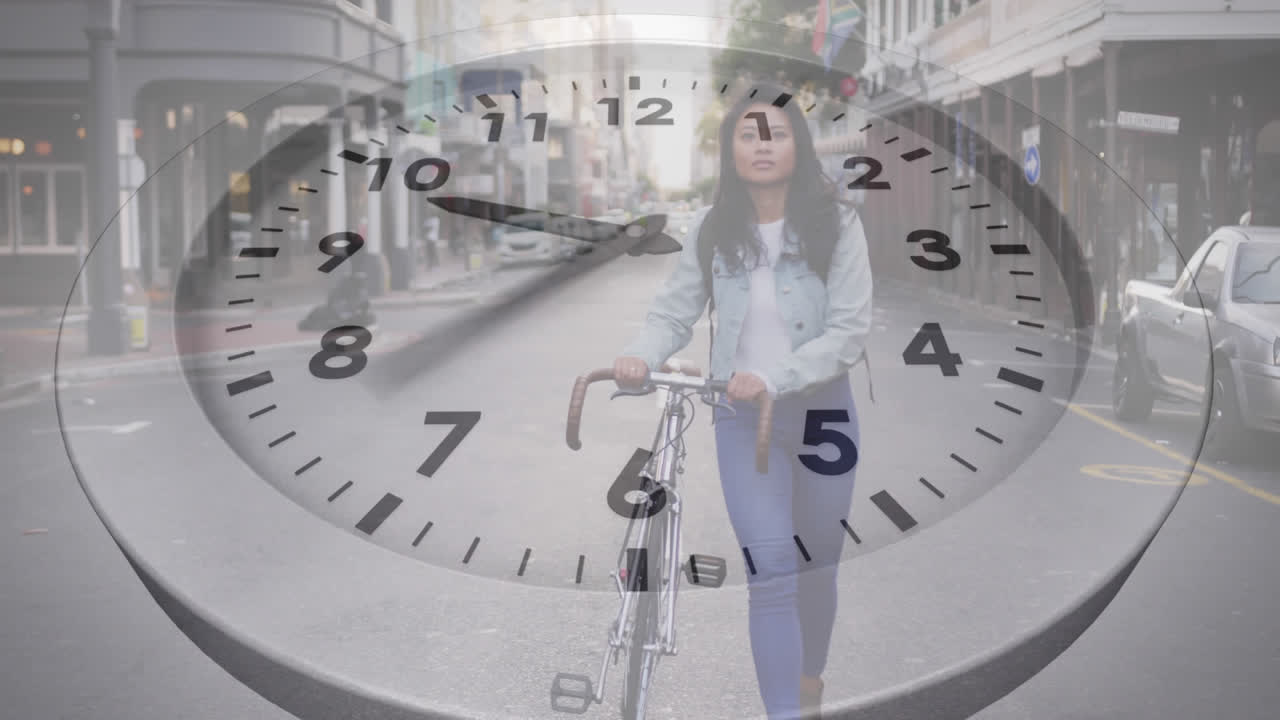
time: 9:38
